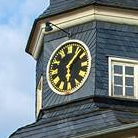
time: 1:28
